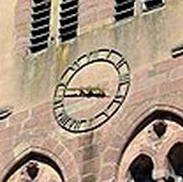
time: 3:46
